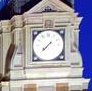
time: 7:37
